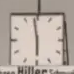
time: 5:58
